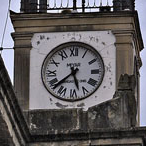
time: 5:38
